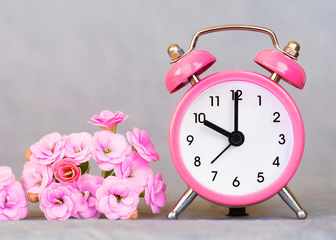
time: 10:00
